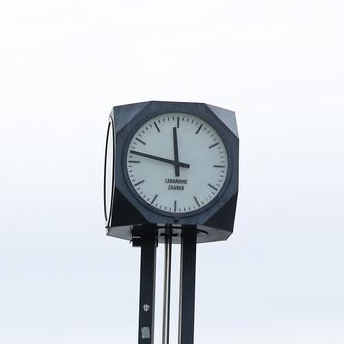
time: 11:46
